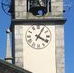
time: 4:04
